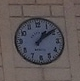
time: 1:08
